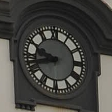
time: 9:42
